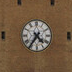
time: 4:35
